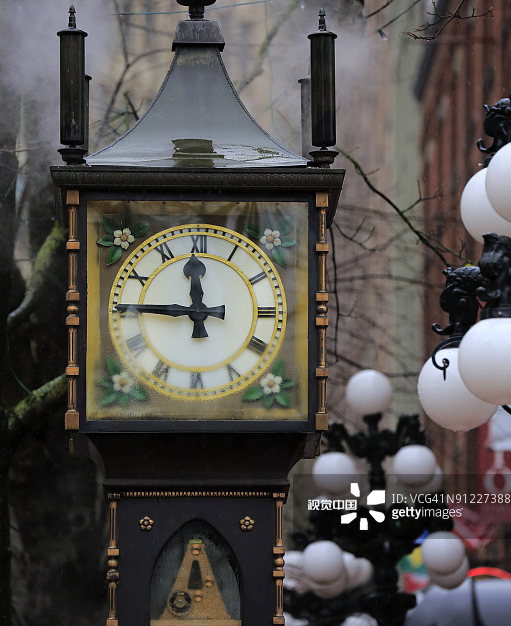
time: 11:45
